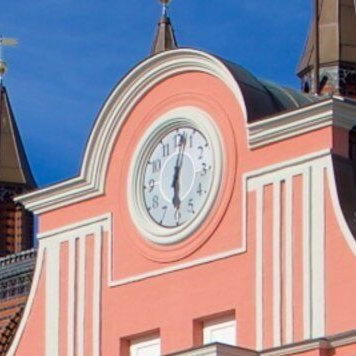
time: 6:01
